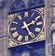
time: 2:25
